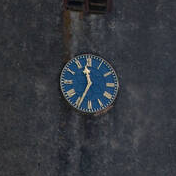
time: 11:34
